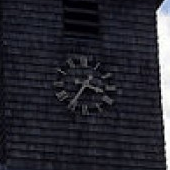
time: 3:35
